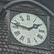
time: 1:47
